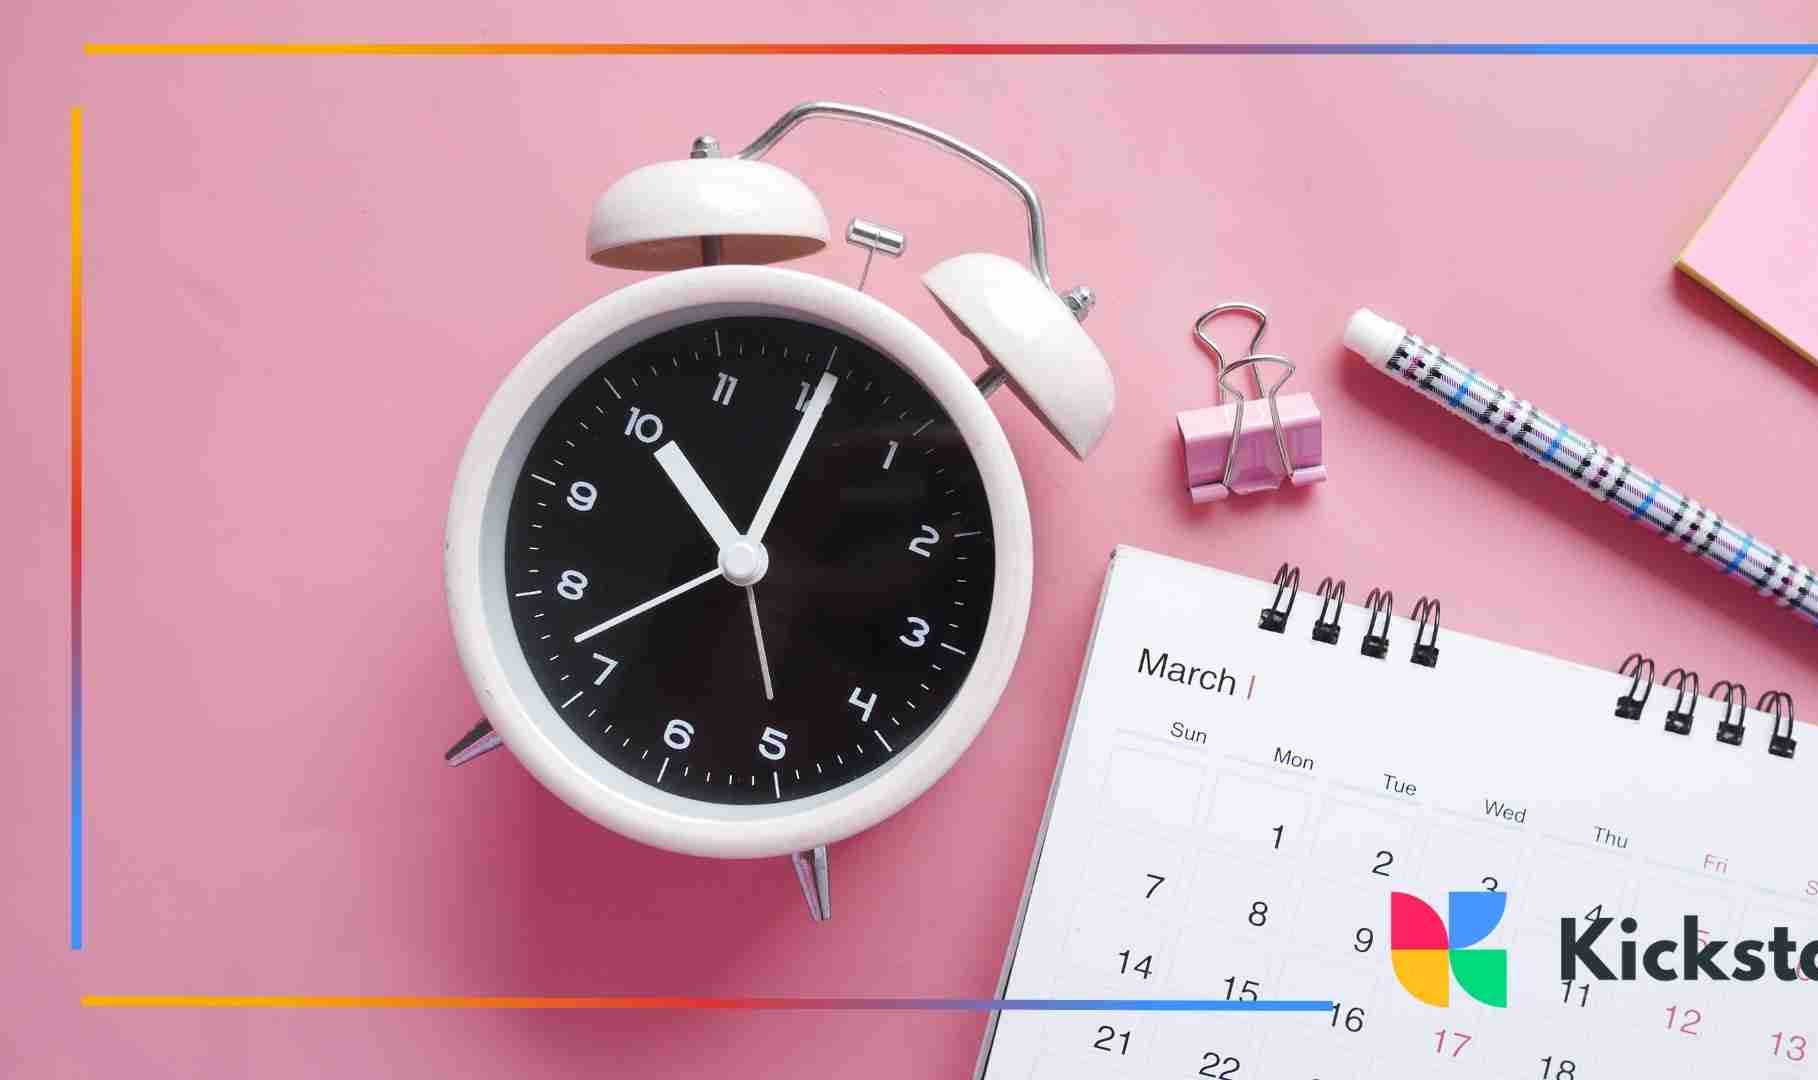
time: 11:05
